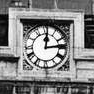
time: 12:13
